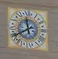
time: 11:39
